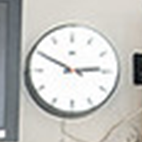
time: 2:49
